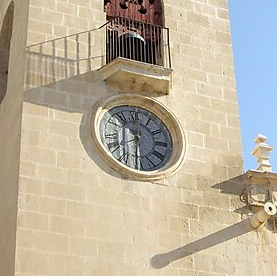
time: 10:30
